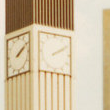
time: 2:09
